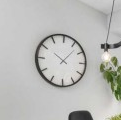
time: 10:07
